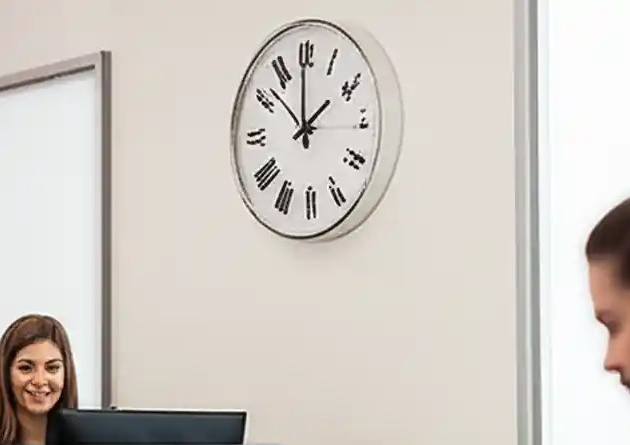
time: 1:59
